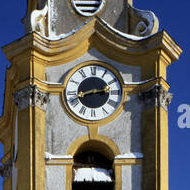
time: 2:42
